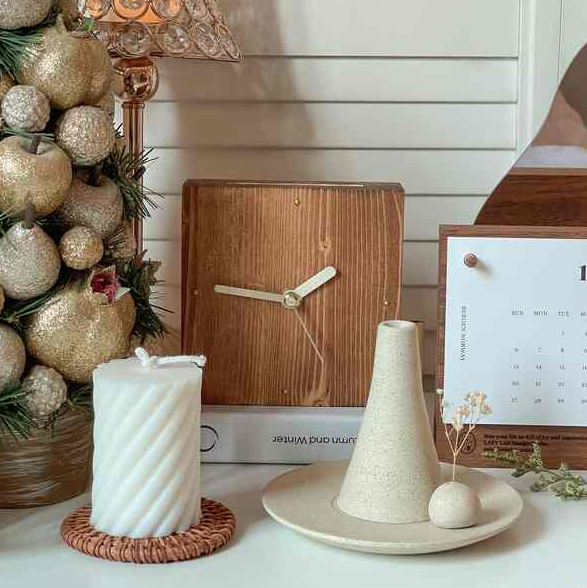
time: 1:46
